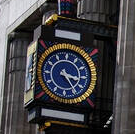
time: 3:24
